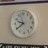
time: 9:39
